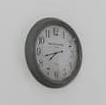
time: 7:42
